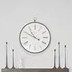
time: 10:49
